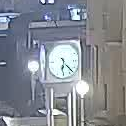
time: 6:22
